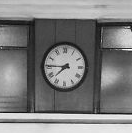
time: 7:45
